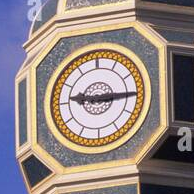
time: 9:14
